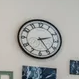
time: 2:24
